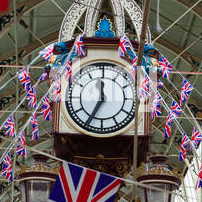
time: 11:34
